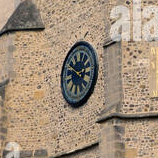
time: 2:50
